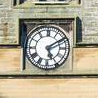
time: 5:09
